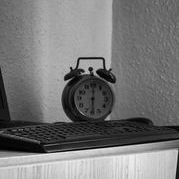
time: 6:00
